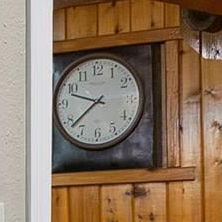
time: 9:38
